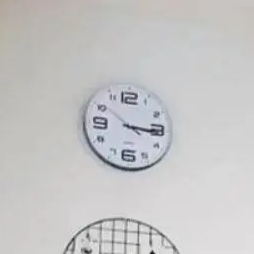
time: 3:15
